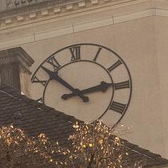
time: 2:52
